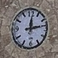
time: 12:13
